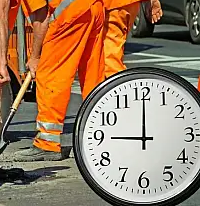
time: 9:00
